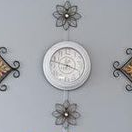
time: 3:47
